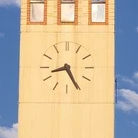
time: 8:25
